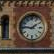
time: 1:46
